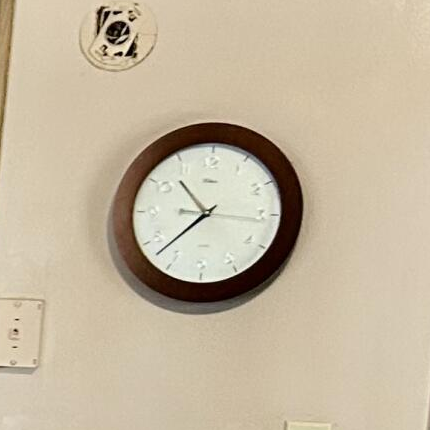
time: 10:37
